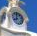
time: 7:59
